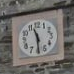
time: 11:29
